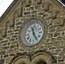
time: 11:24
